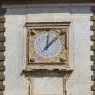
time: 12:07
